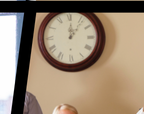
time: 12:06
